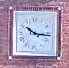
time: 10:16
